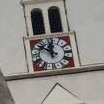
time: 11:50
